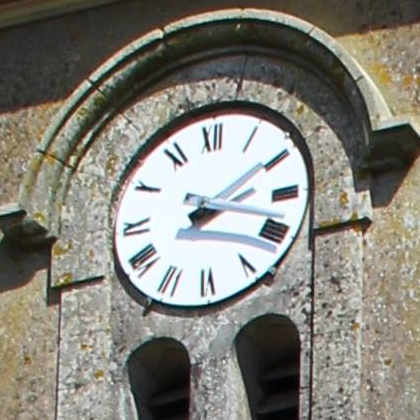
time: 2:18
